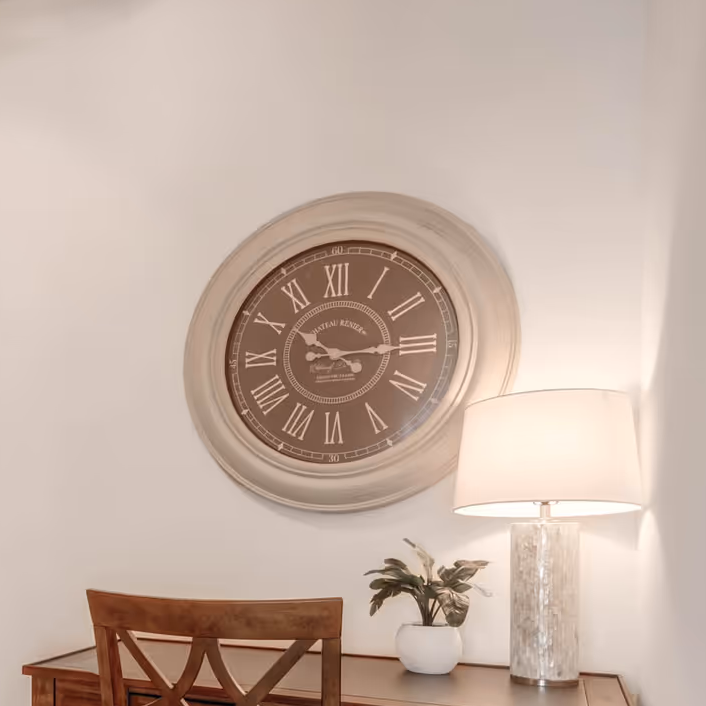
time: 10:14
